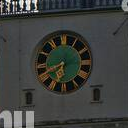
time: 6:40
